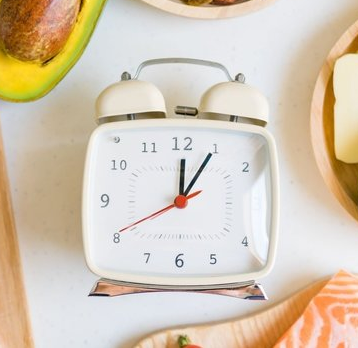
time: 12:05
